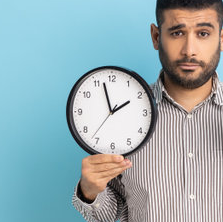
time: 1:57
